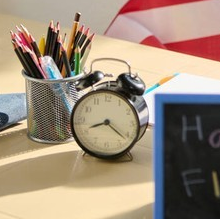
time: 8:21
